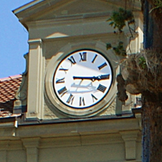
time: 3:15
